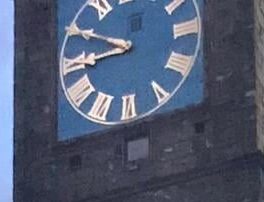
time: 8:49
